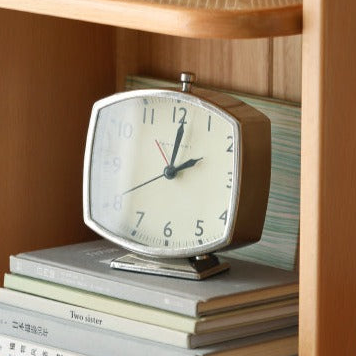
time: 2:01
